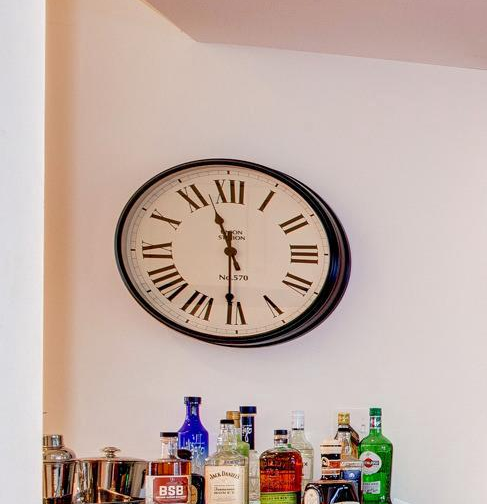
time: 11:30
